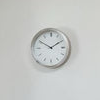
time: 1:50
